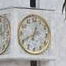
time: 12:40
